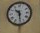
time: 10:29
